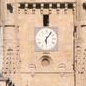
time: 6:06
